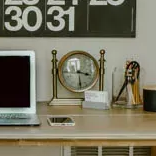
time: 3:29
